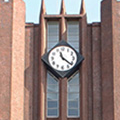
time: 11:21
